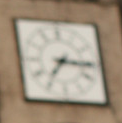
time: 7:15
